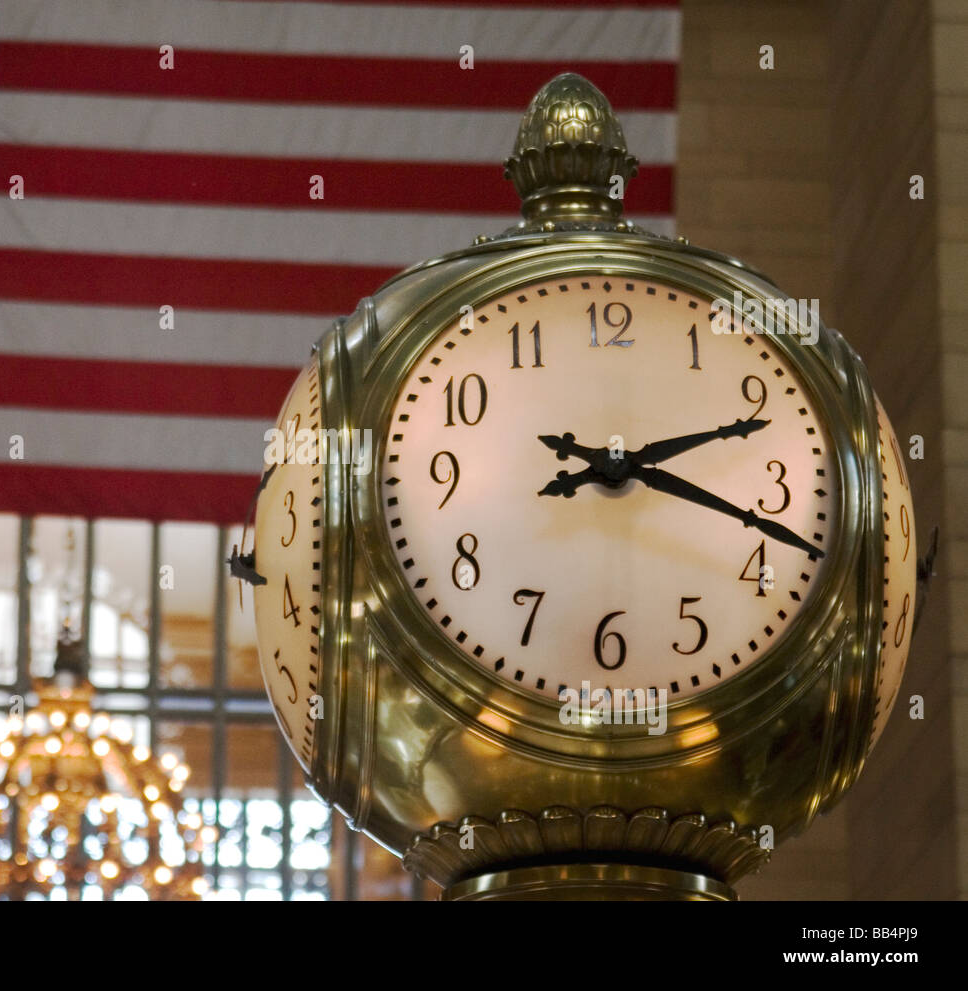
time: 2:18
